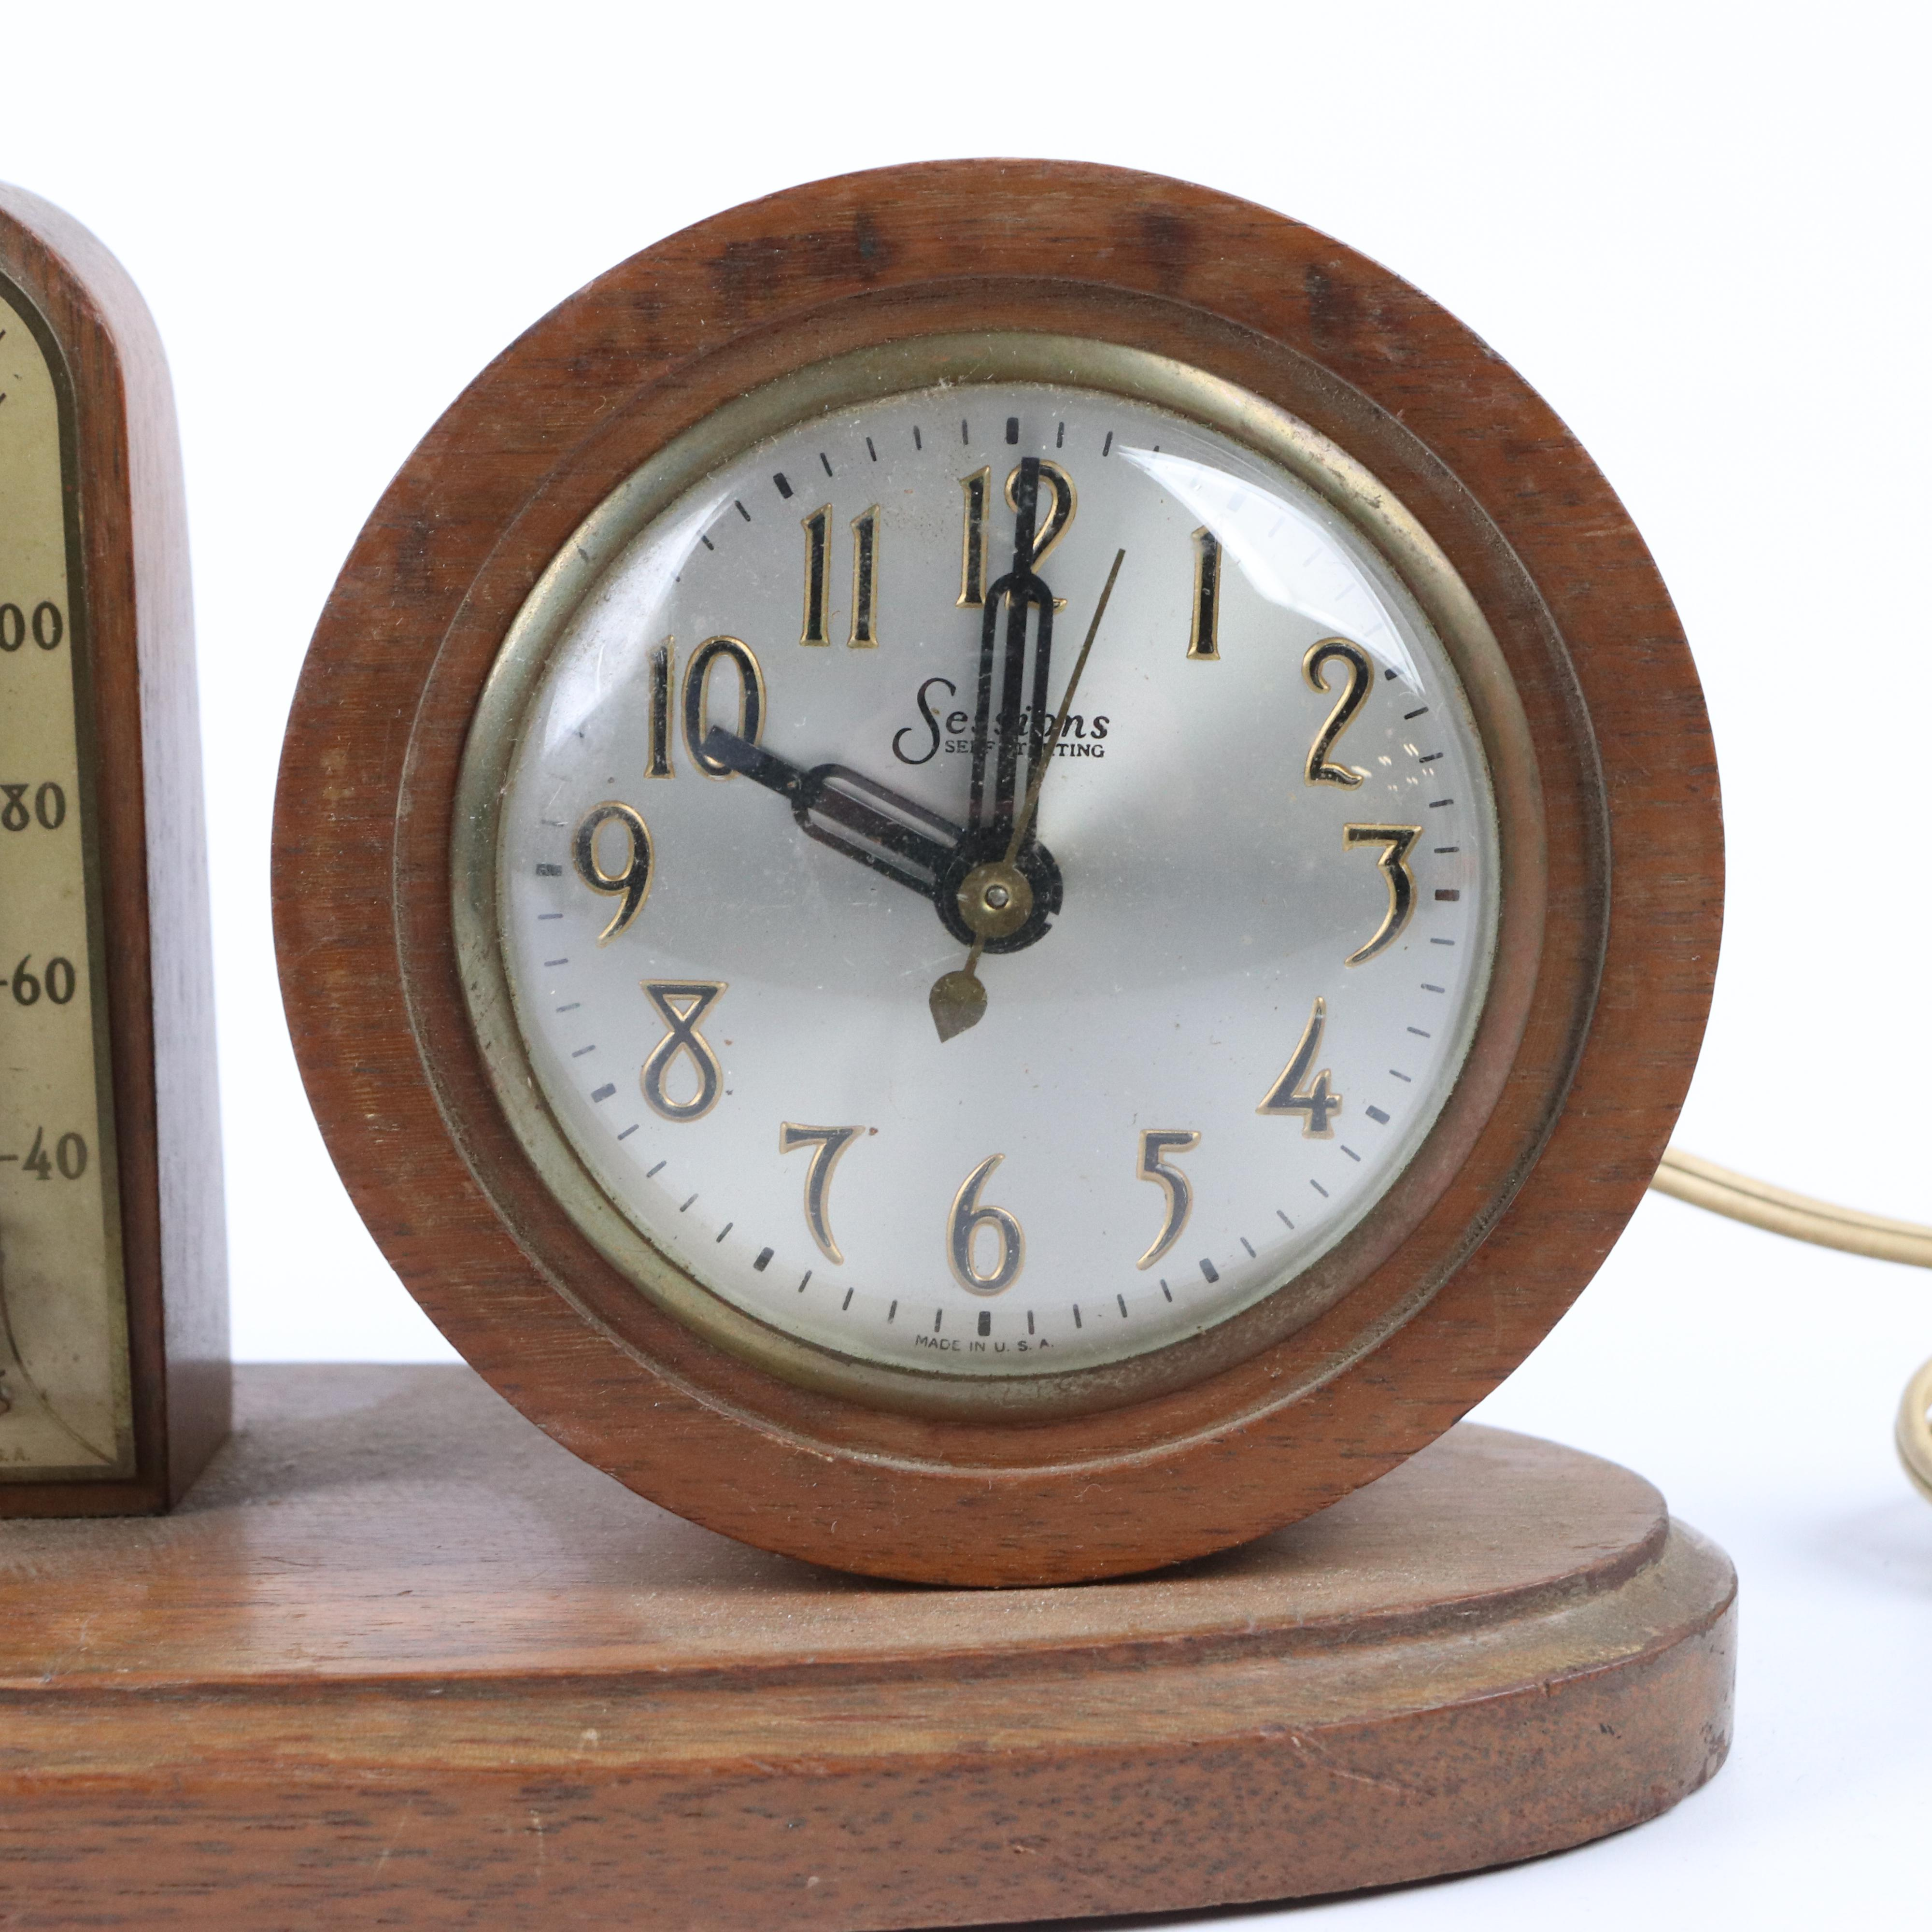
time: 10:00
